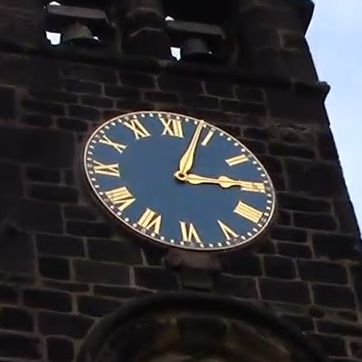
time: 3:03
